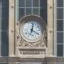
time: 4:02
